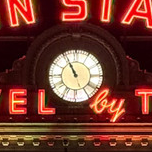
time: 10:55
